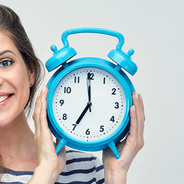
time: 6:59
